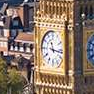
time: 11:16
